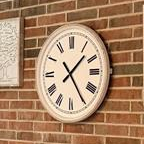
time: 1:24
